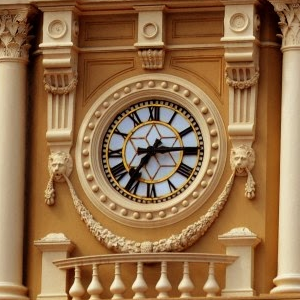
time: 7:14
